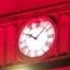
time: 10:07
